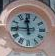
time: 11:45
